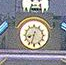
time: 8:32
